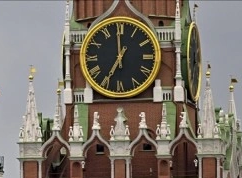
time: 6:59
